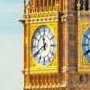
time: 11:40
